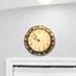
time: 9:53
